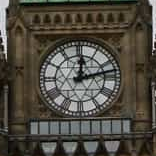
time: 12:12
